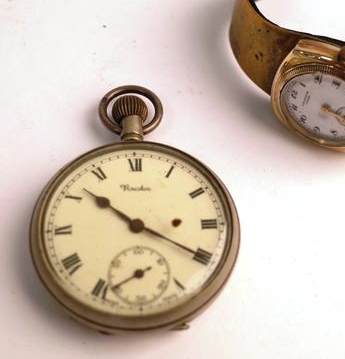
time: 10:19
